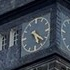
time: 5:21
